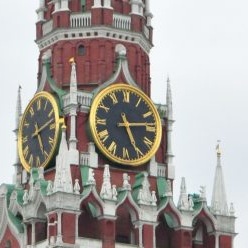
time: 5:13
